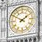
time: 1:50
